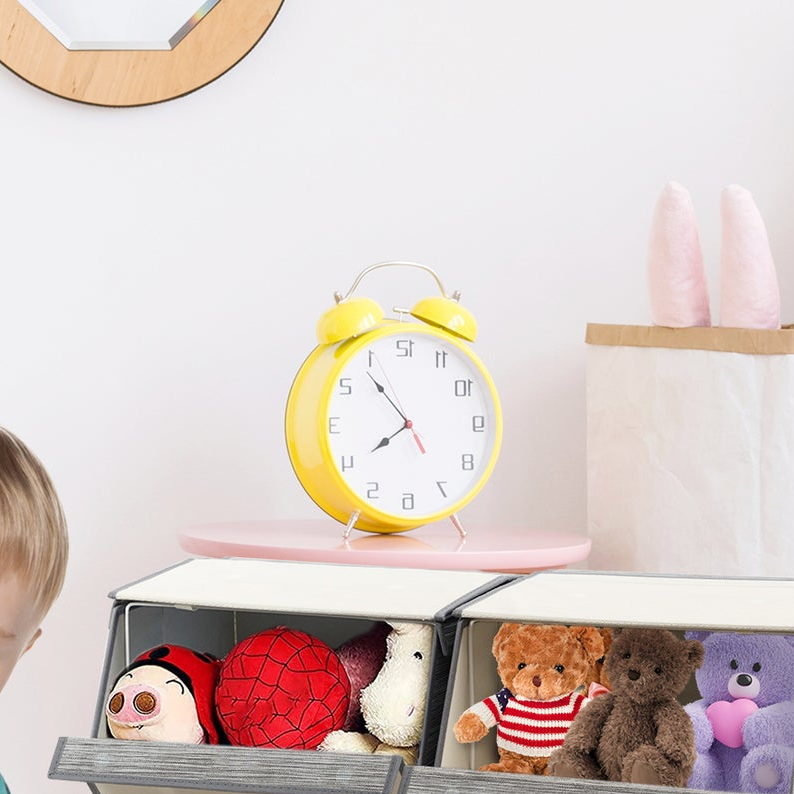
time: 7:53
